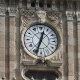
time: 12:33
